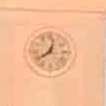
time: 12:38
